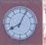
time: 8:04
